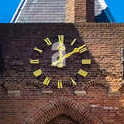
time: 12:08
